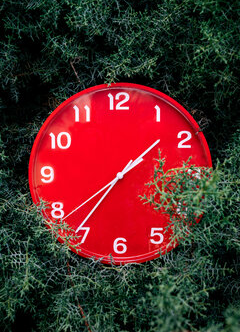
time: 1:36
